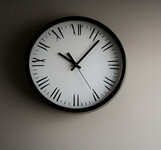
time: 10:07
